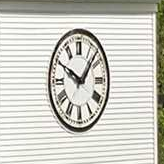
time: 10:07
